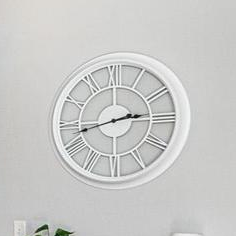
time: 2:42
